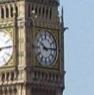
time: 10:14
